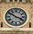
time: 3:50
